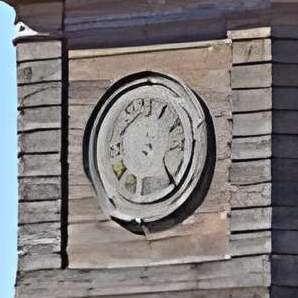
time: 4:23
